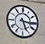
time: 5:15
